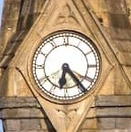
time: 6:23
